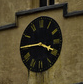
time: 3:45
